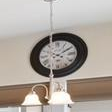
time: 4:09
